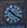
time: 10:20
